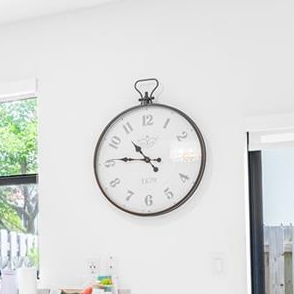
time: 10:45
